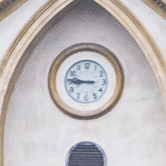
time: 8:45
